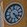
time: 4:23
